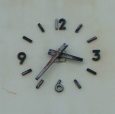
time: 3:36
